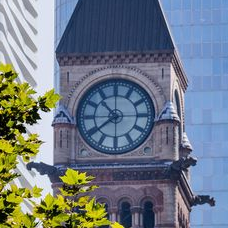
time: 10:38
